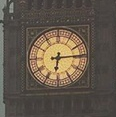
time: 6:14
